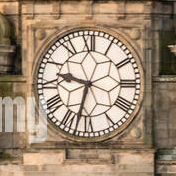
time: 9:32
